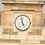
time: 4:57
